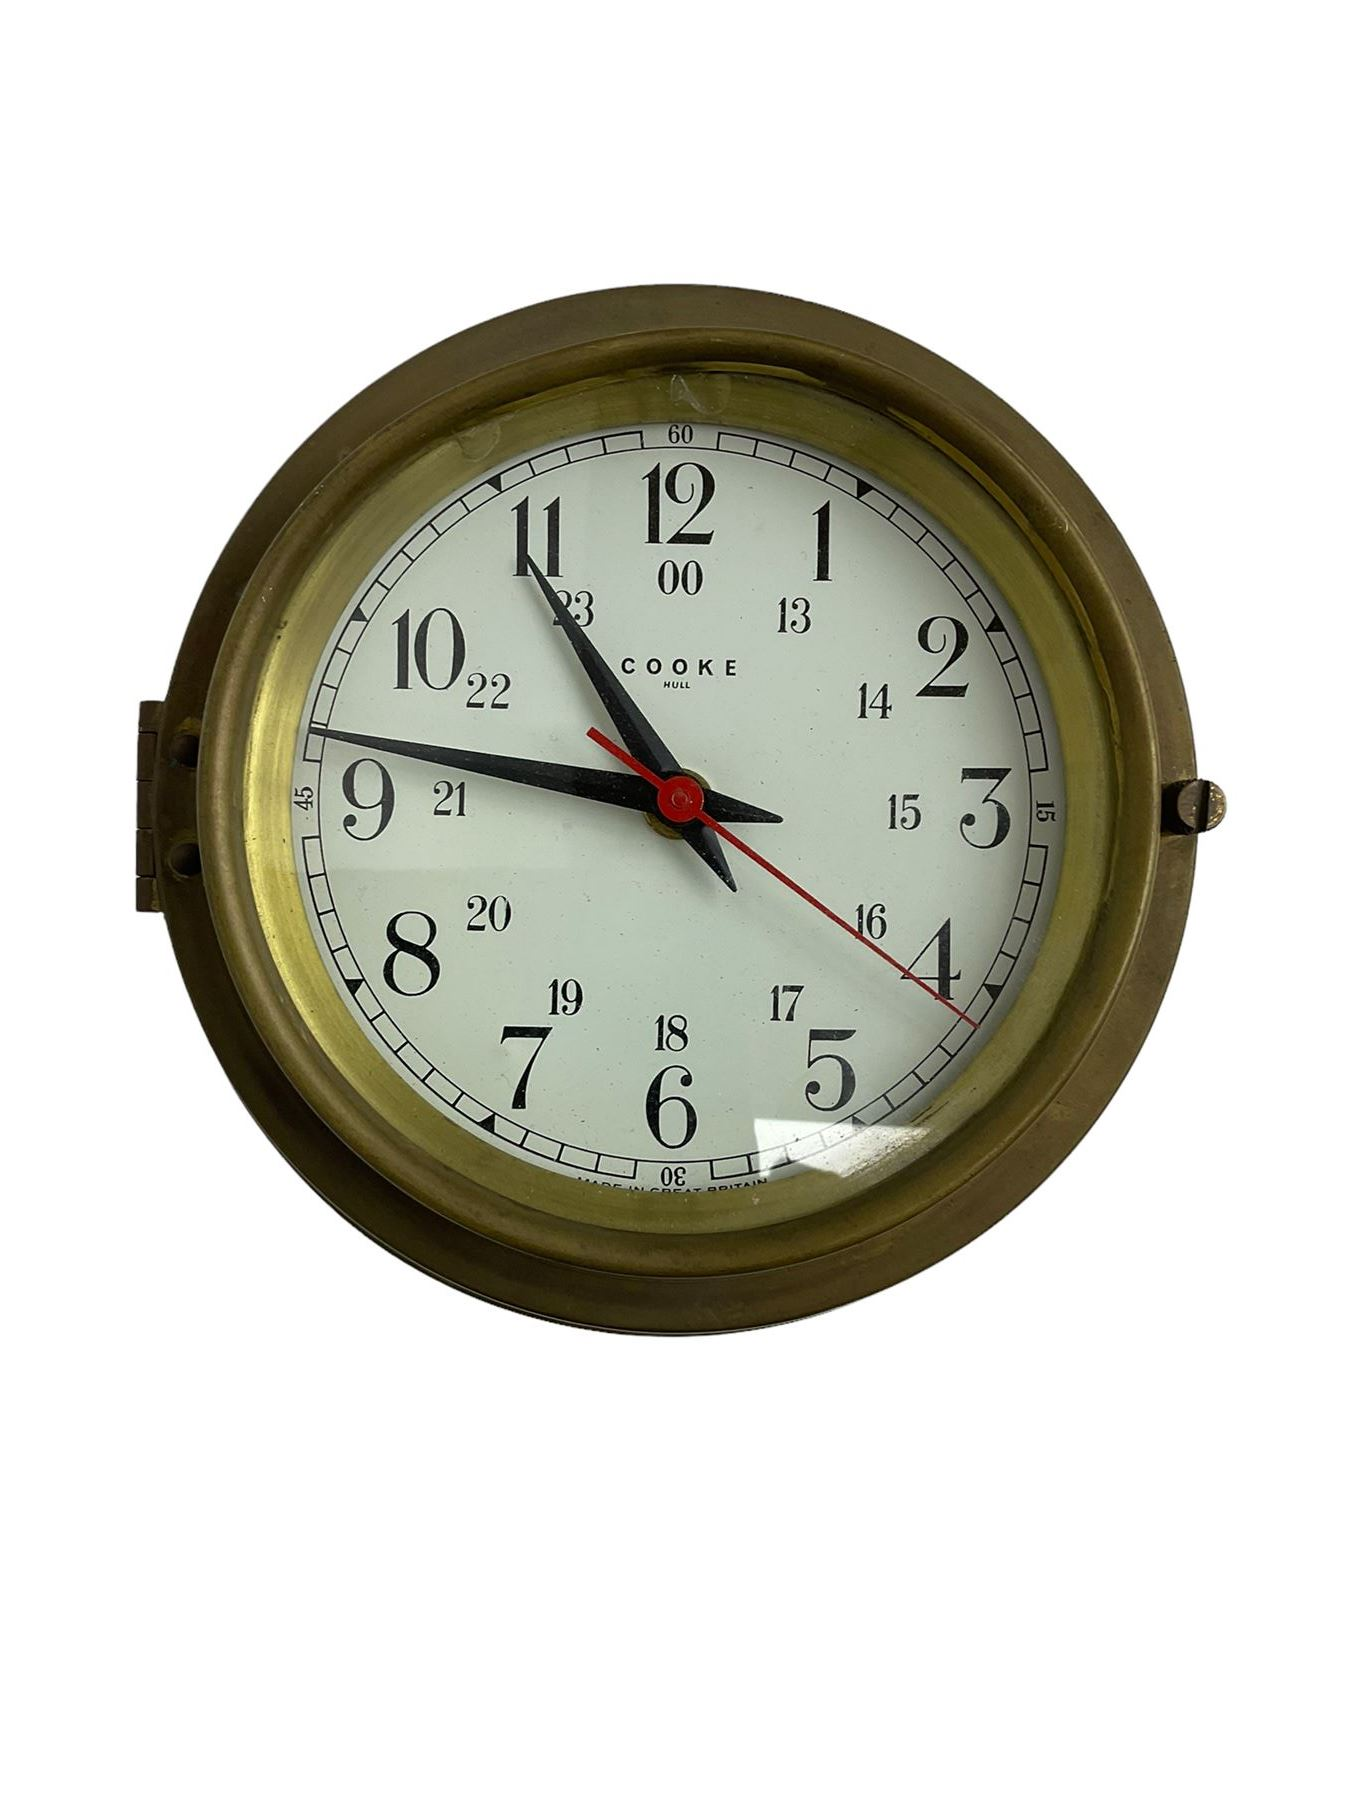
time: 10:46
